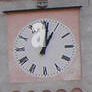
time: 1:01
